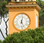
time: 12:26
